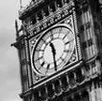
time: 11:30
